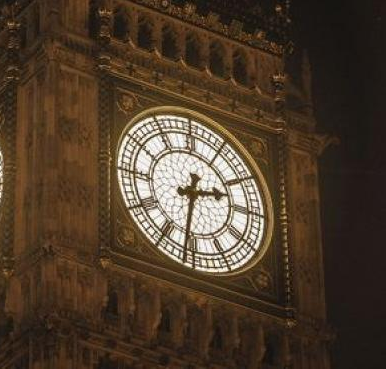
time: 2:31
